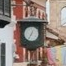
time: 12:34
